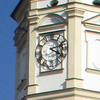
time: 2:19
